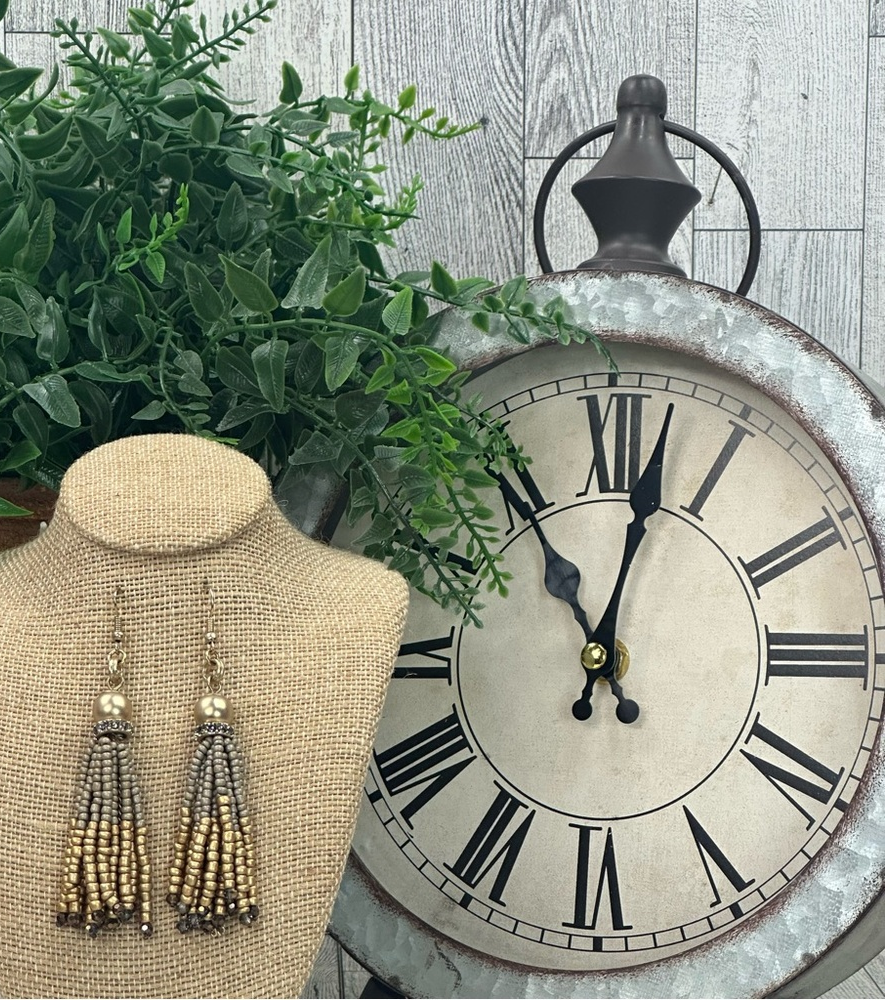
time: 11:02
